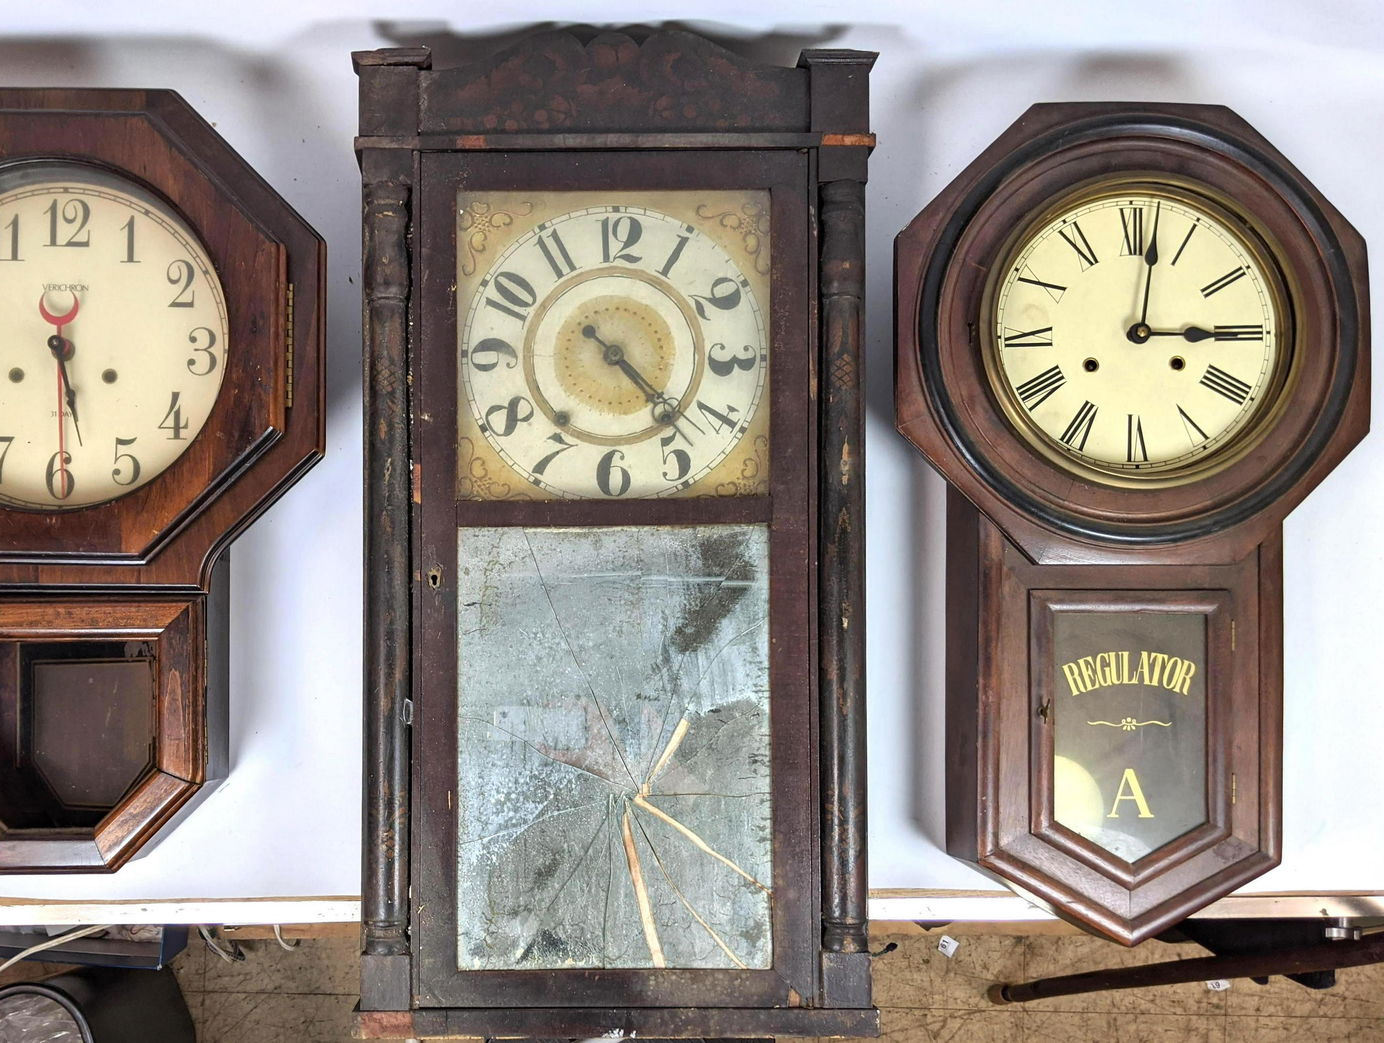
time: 12:14
